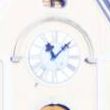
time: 11:07
